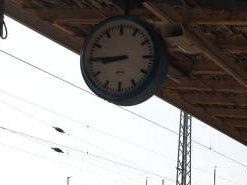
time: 8:45
